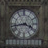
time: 3:43
